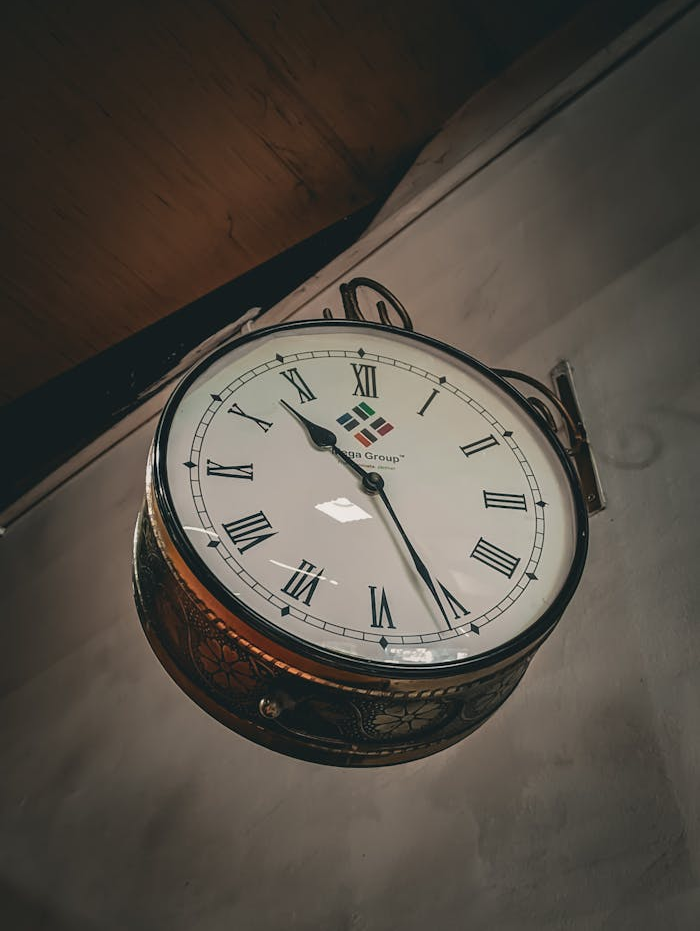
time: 10:25
